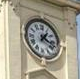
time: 1:18
